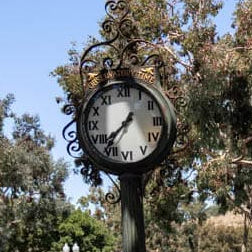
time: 7:36
